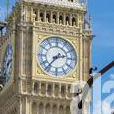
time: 2:36
